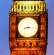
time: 8:16
